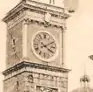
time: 4:10
